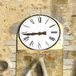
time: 8:43
